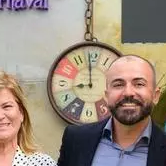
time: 8:59
